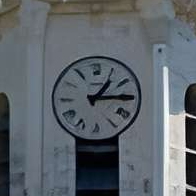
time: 1:14
